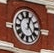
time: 12:23
